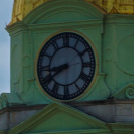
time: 8:39
